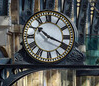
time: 10:18
